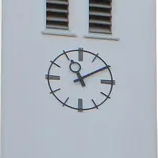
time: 11:09
